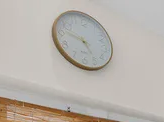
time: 4:46
